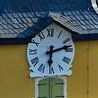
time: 6:12
